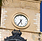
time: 5:35
